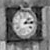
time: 1:13
